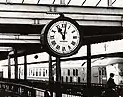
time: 11:01
